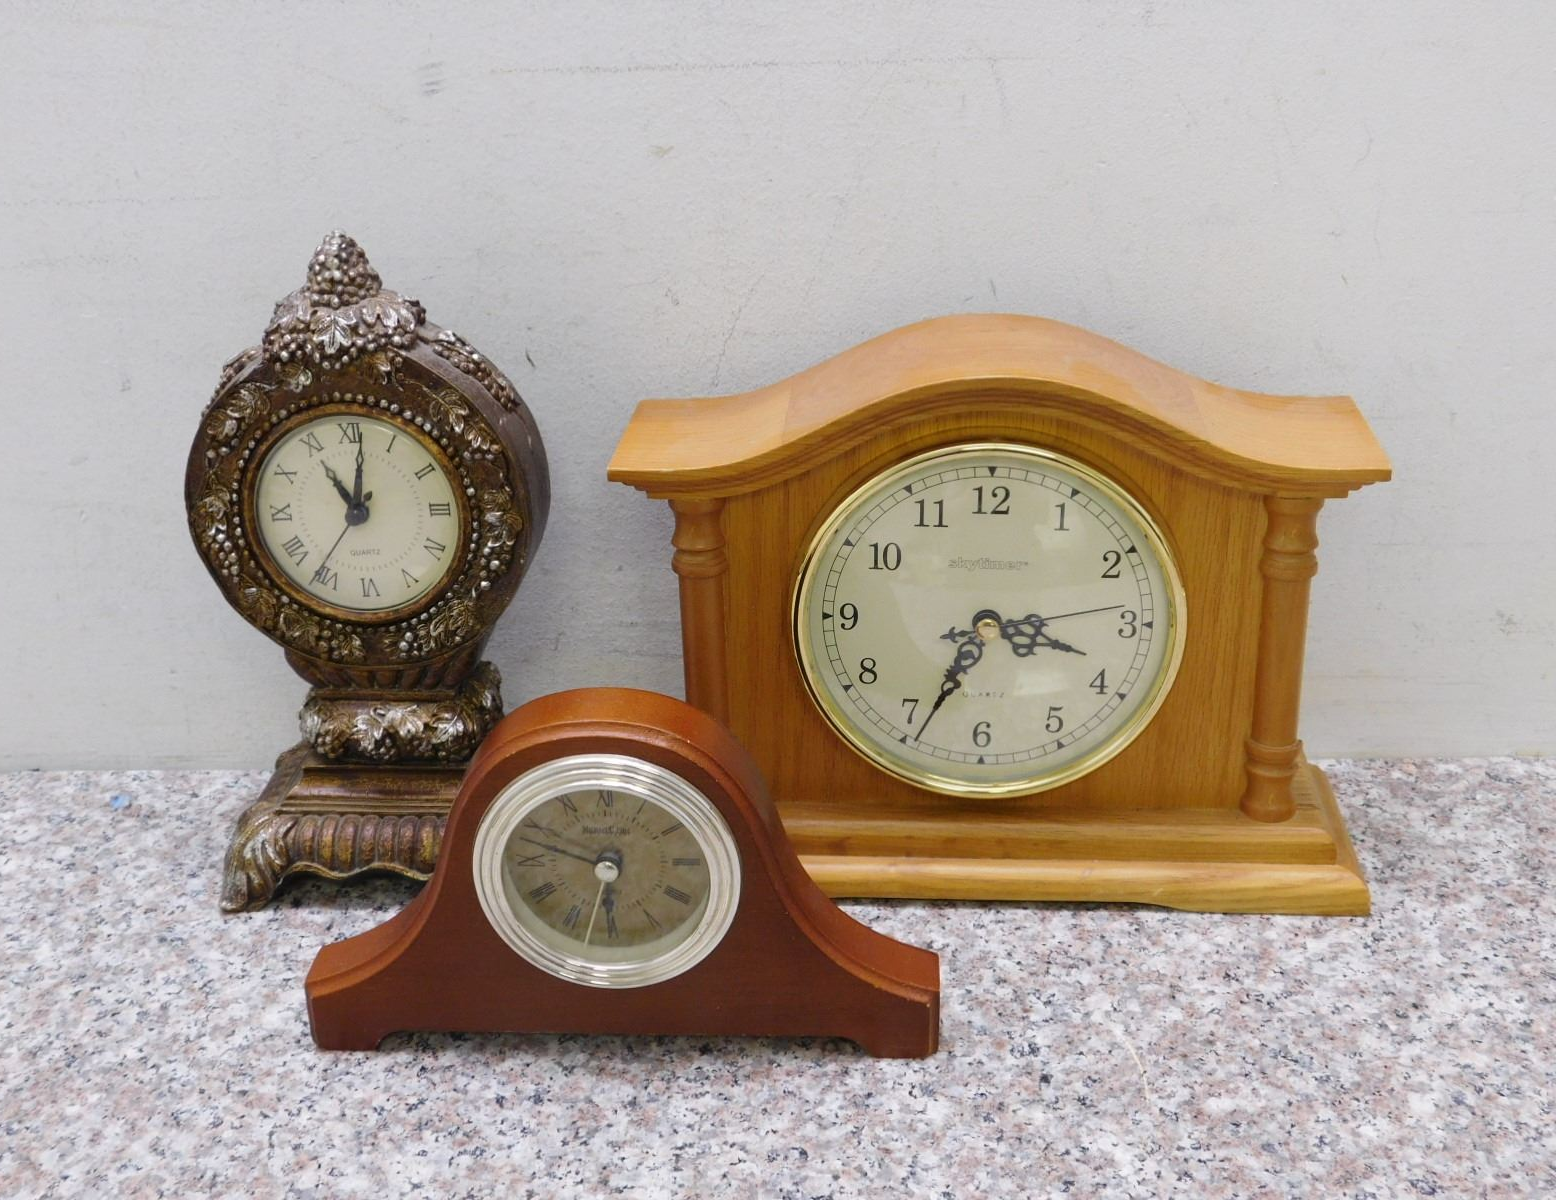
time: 3:34
